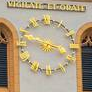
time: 3:48
